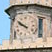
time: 9:50
